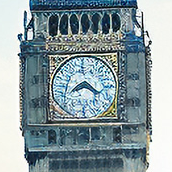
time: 8:20
